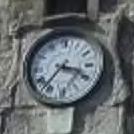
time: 3:36
